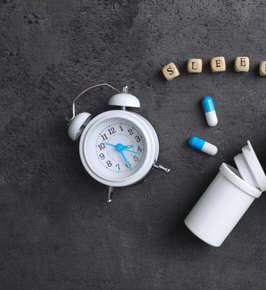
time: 5:18
